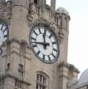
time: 11:42
